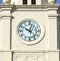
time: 10:02
